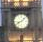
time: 8:07
